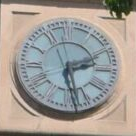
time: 2:28
